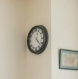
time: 4:22
